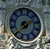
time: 1:38
